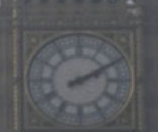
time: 2:10
